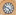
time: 4:48
